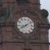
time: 8:09
